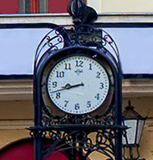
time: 8:41
